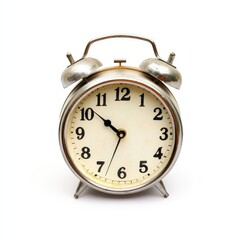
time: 10:33
